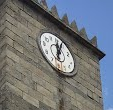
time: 12:04
